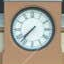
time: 7:37
